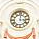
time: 3:01
